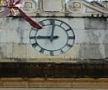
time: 9:01
